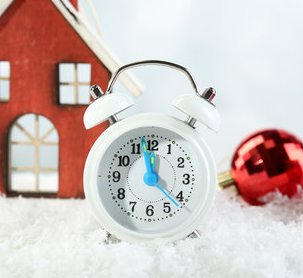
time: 11:57
